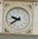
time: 9:39
